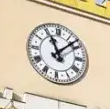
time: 11:07
